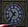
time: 10:36
